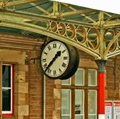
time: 1:37
